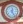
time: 12:24
